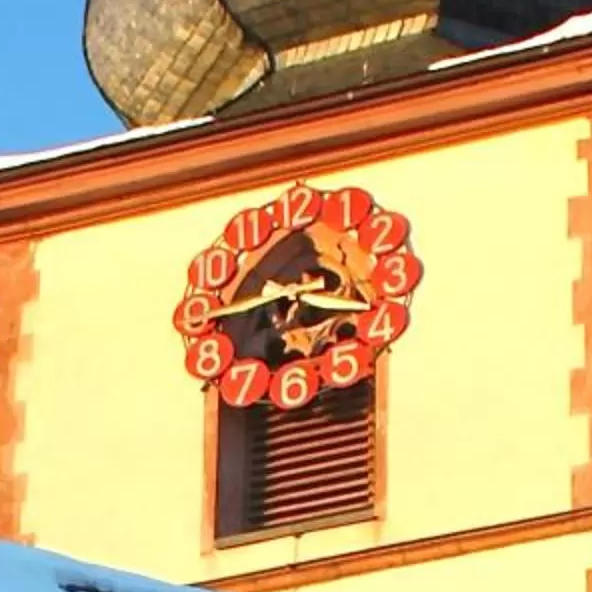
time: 3:44
